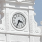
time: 3:34
